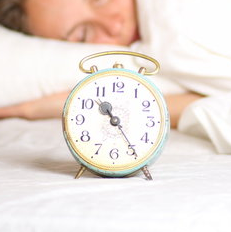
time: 10:24
